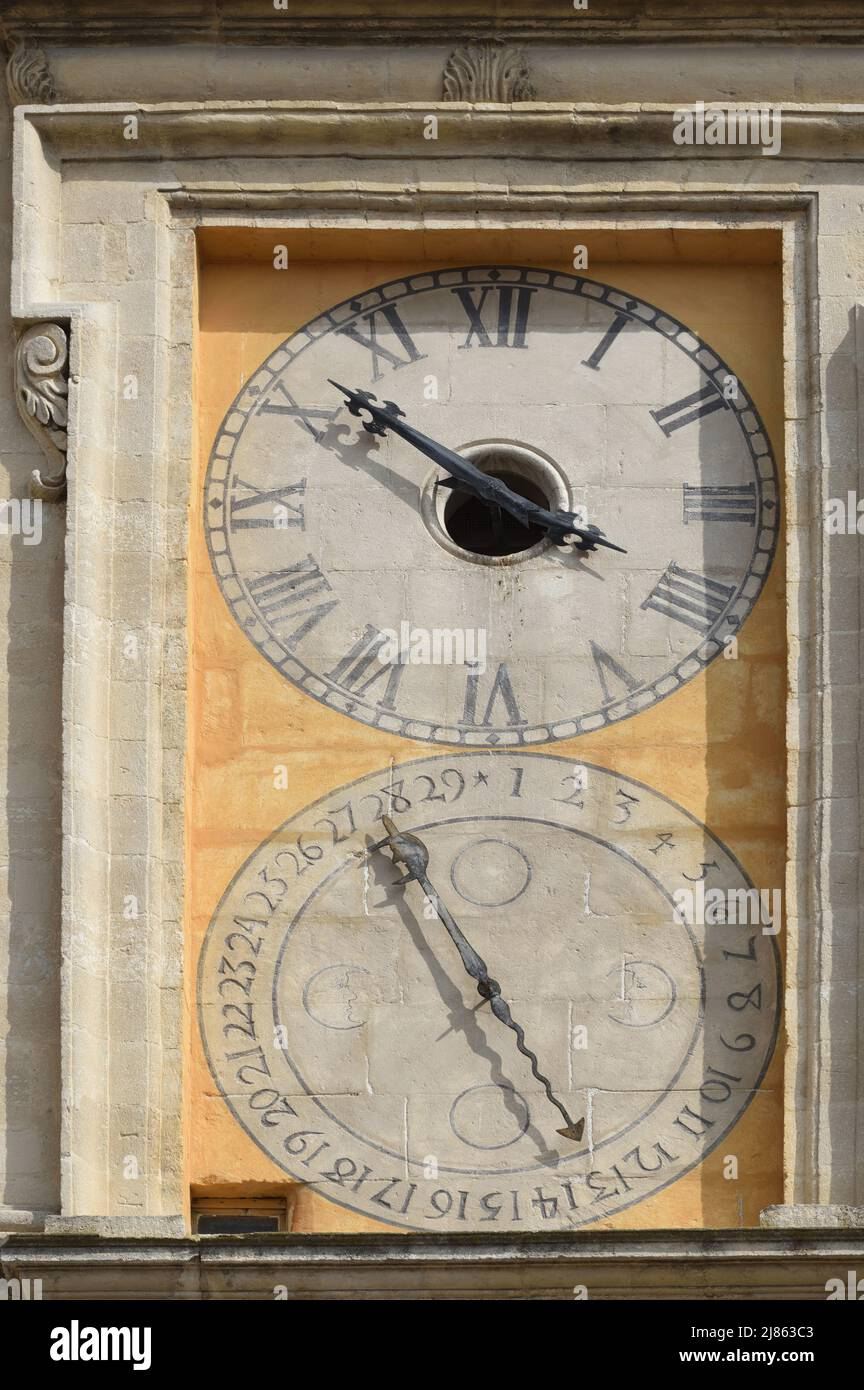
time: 3:52
